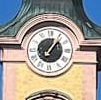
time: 1:06
